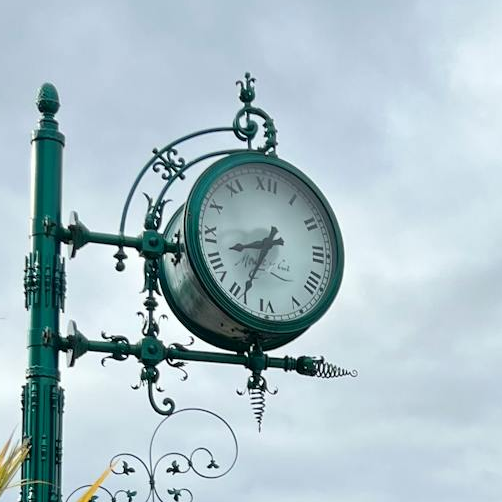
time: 8:34
